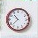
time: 10:37
